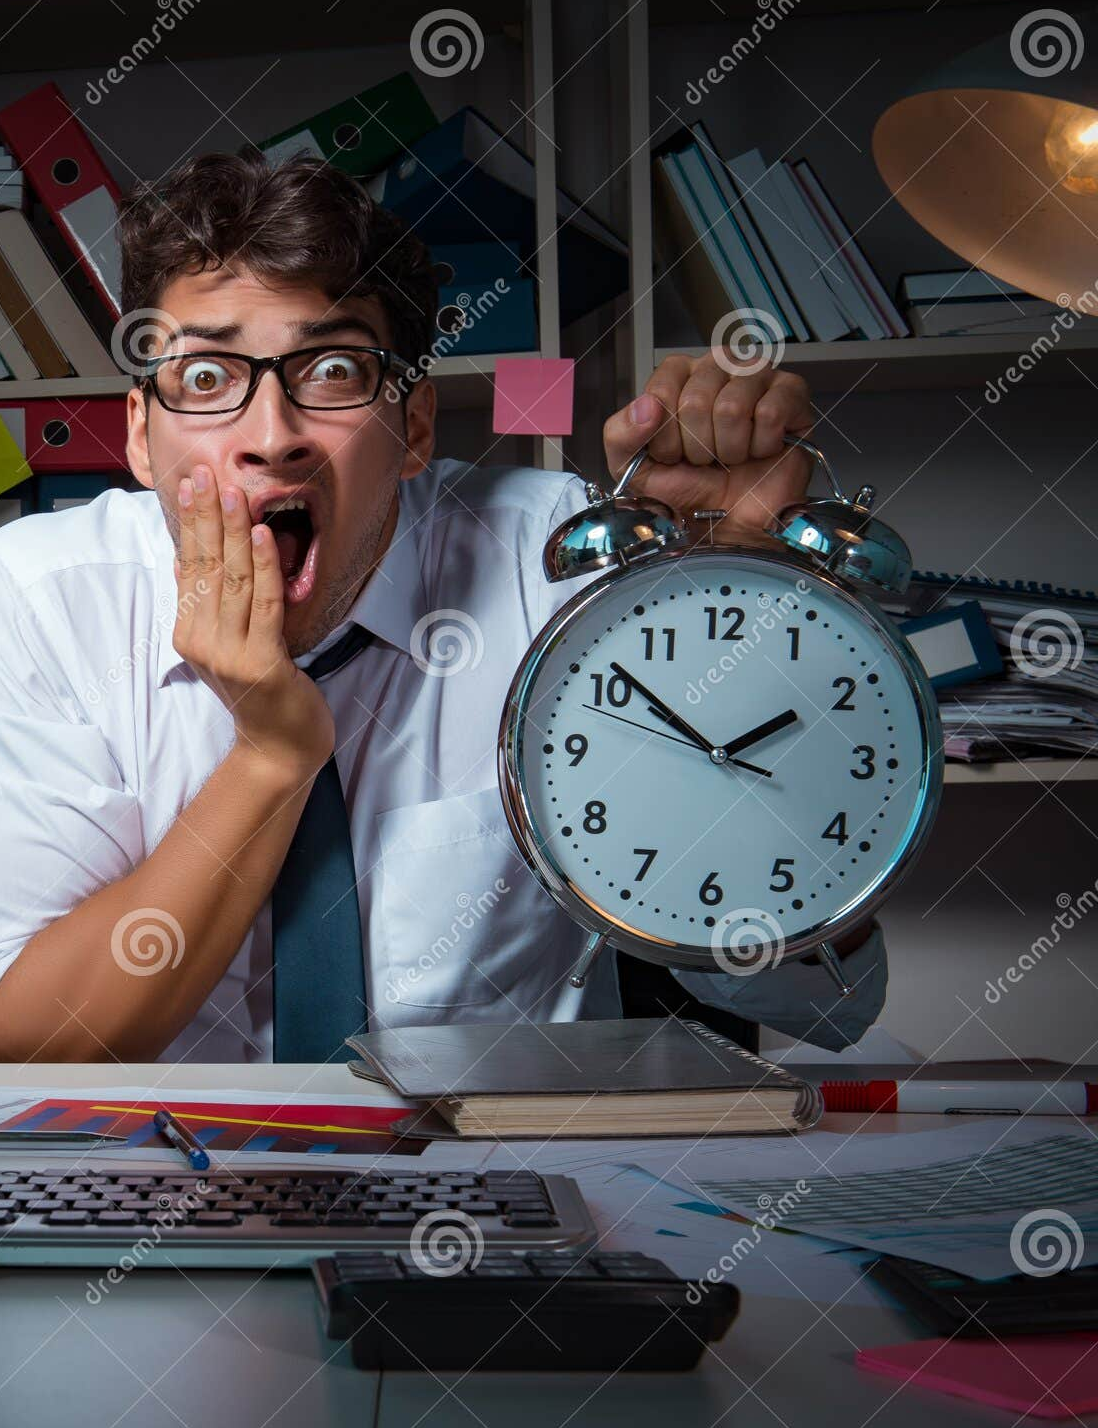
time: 1:51
